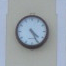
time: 4:25
